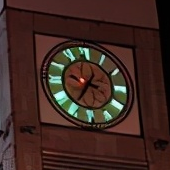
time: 3:35
